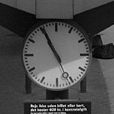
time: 10:55
